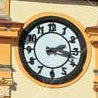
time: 2:17
